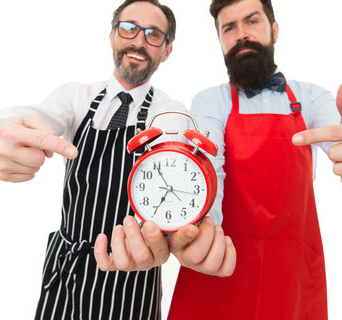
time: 6:54
